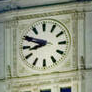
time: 8:49
